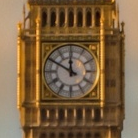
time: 11:49
